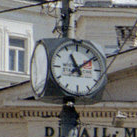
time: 11:08
